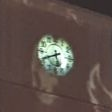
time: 5:41
